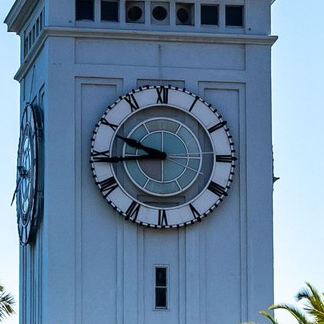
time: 9:43
